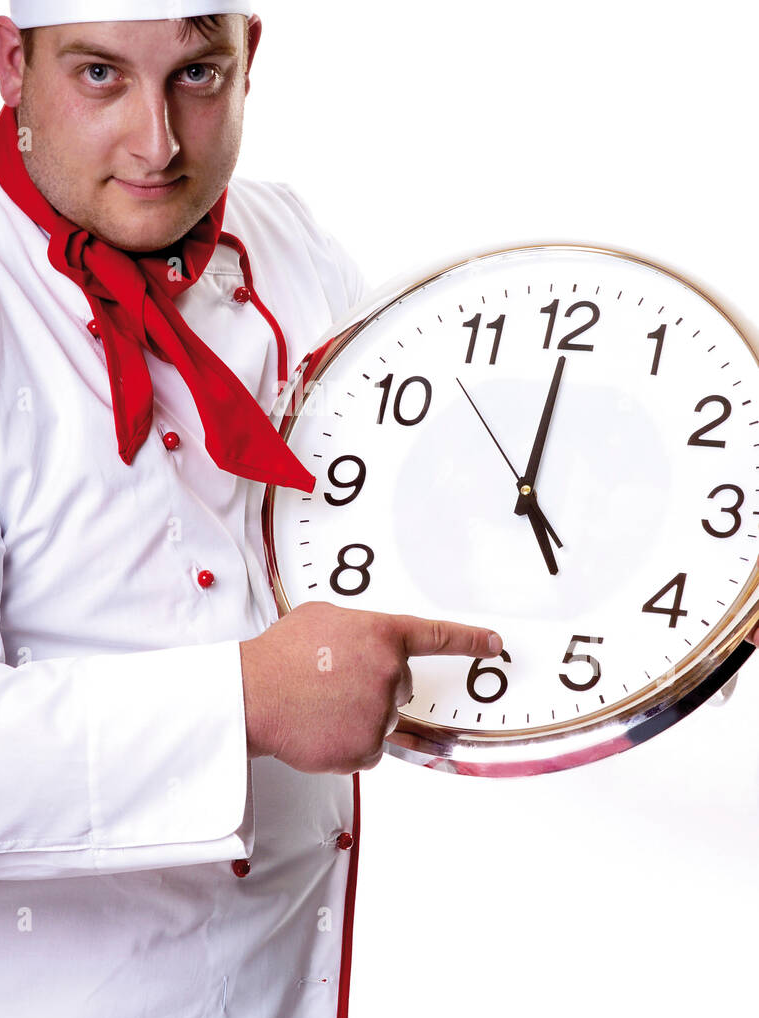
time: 5:00
